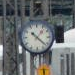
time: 1:21
